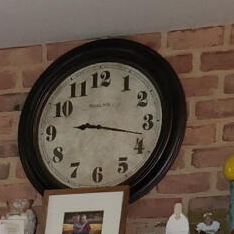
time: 9:17
